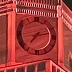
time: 7:12
